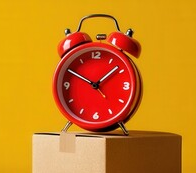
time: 1:50
